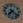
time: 7:21
